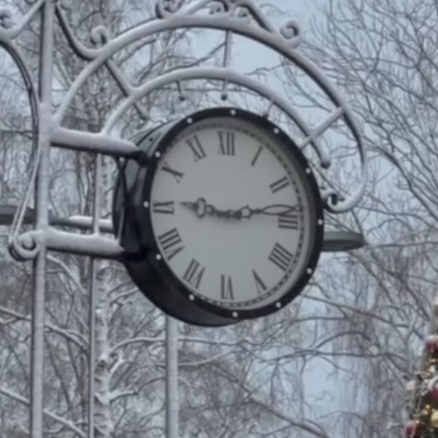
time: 9:13
